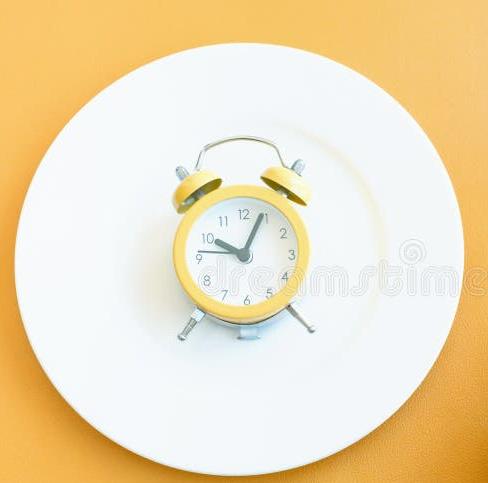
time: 10:04
